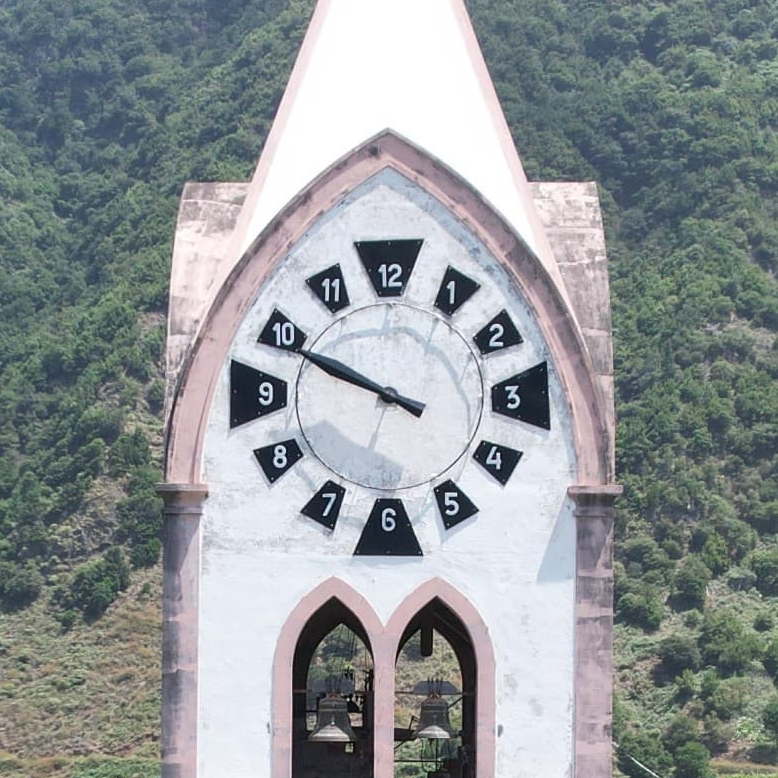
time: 9:49
